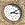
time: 3:09
